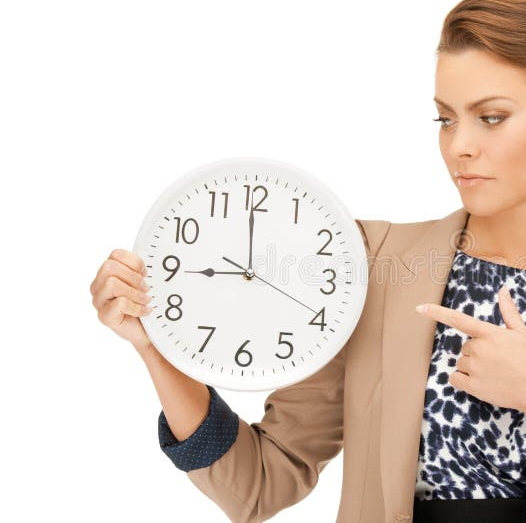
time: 8:59
